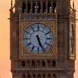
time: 5:26
